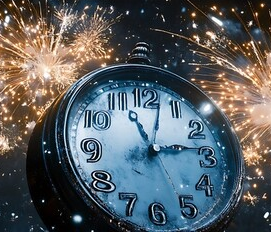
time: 11:13
